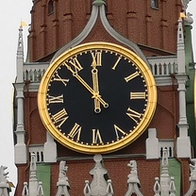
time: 11:53
